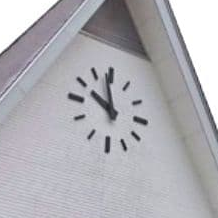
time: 9:58
